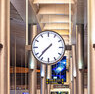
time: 7:37
